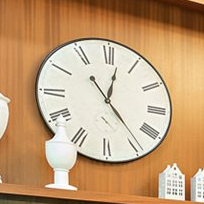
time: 12:23
